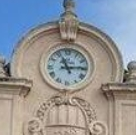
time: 11:13
